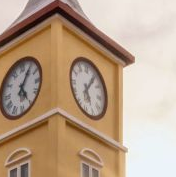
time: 5:05
